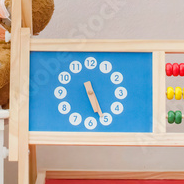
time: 5:26
